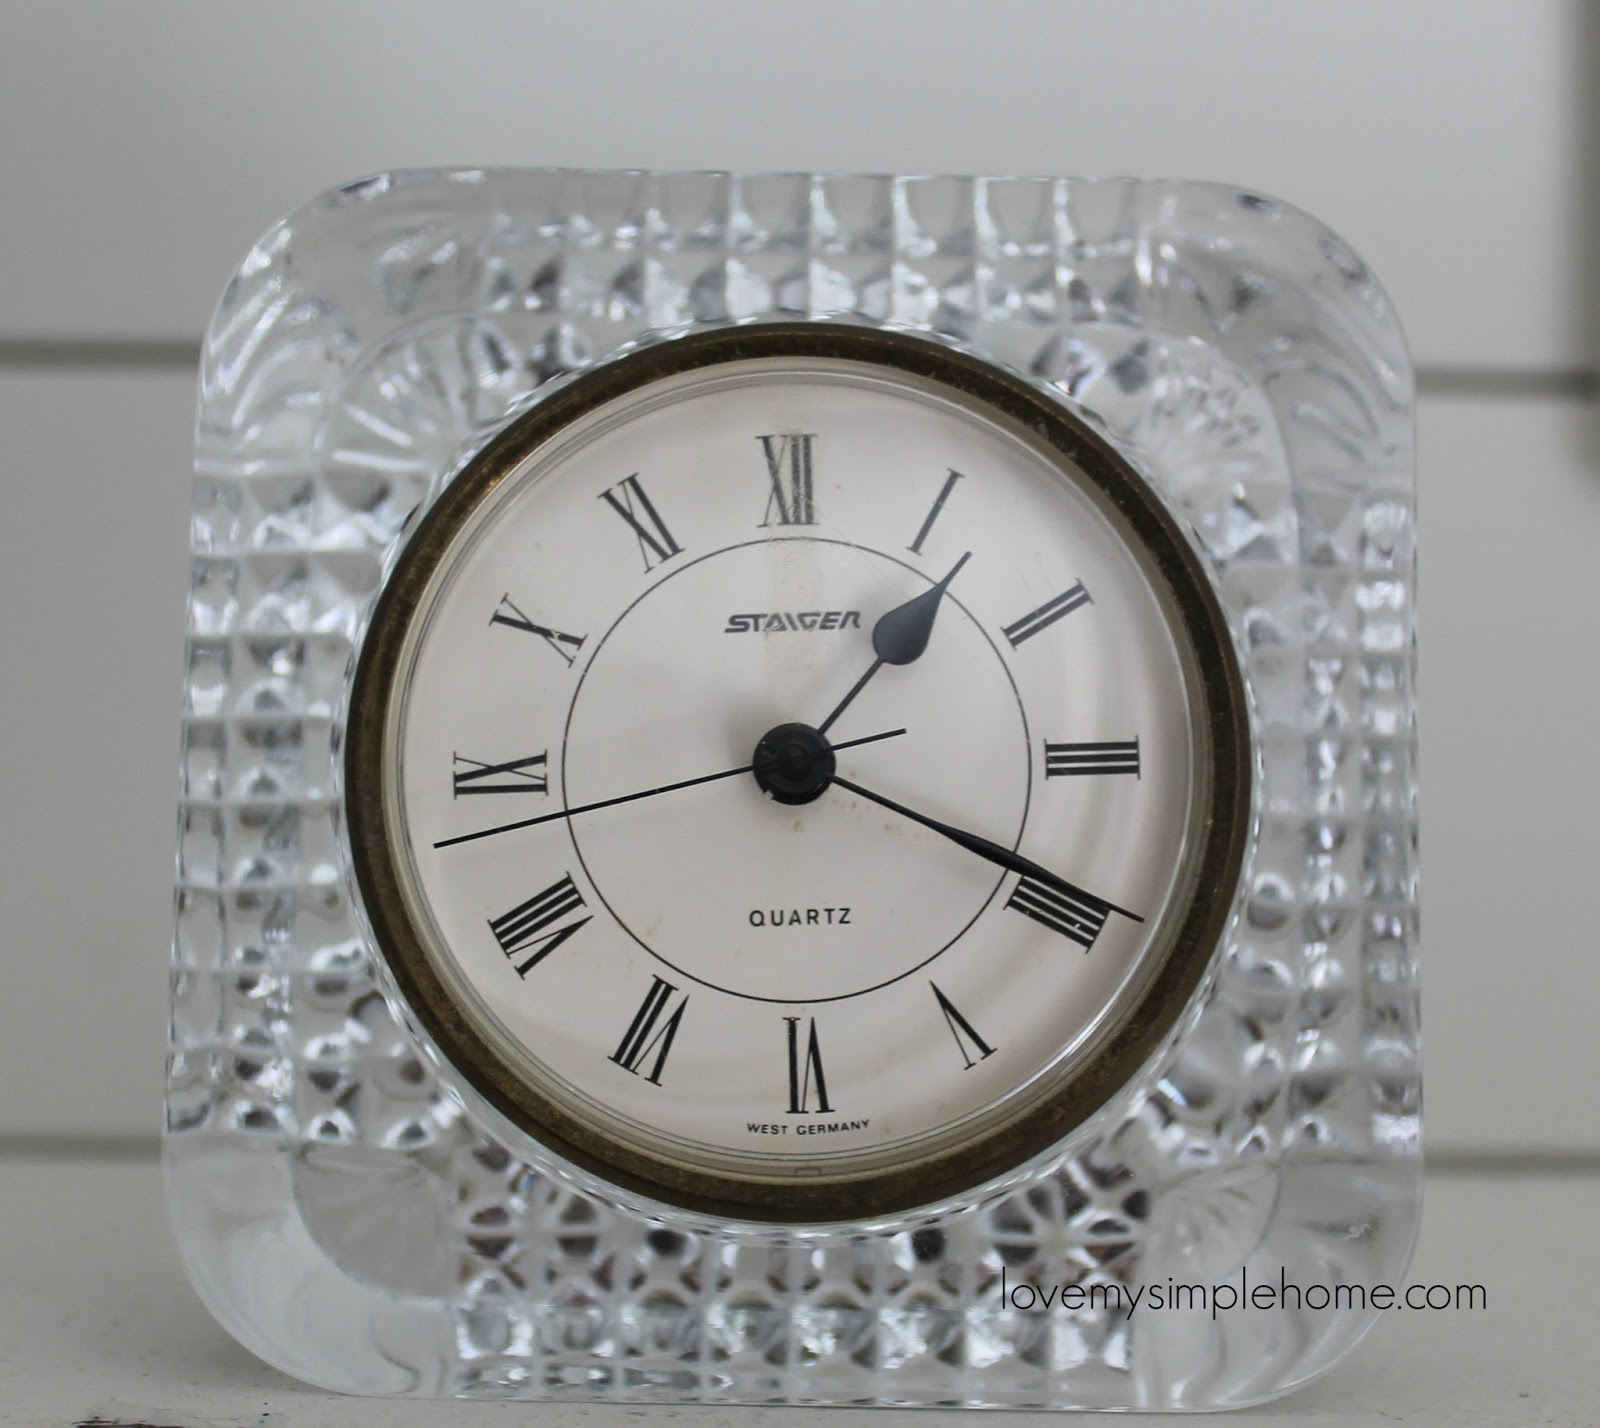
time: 1:19
